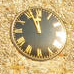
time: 11:56
